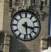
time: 3:28
